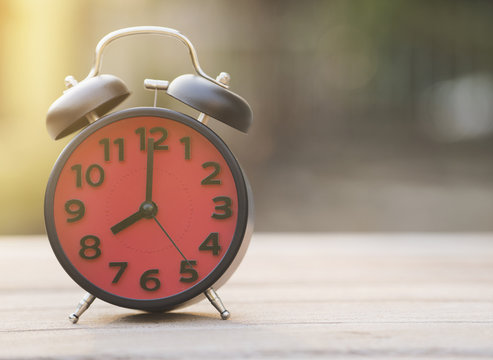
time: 8:00
